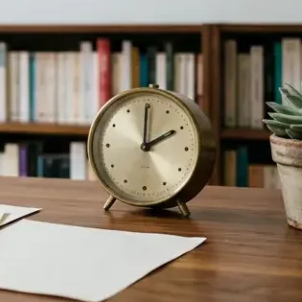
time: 2:00
